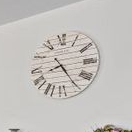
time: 8:24
